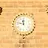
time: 11:46
